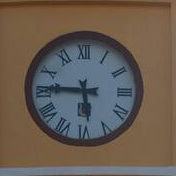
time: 5:45
